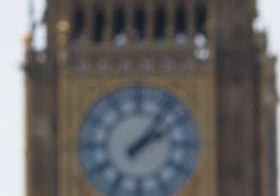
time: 2:06
